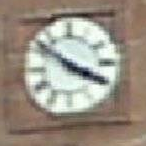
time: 3:51
